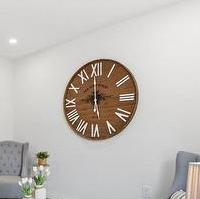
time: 11:59
